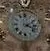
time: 2:18
